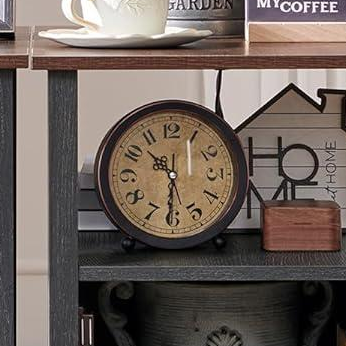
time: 10:30
